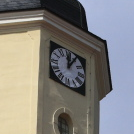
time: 12:05
